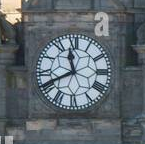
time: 11:40
